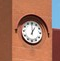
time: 12:59
